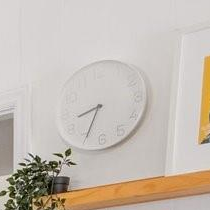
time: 8:34
